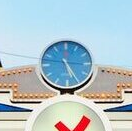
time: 5:24
